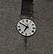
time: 6:50
